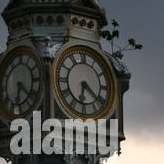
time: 6:21
